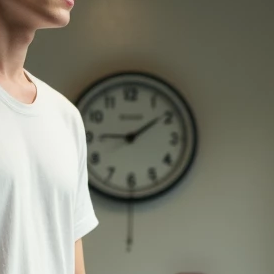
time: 9:09
